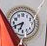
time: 6:41
